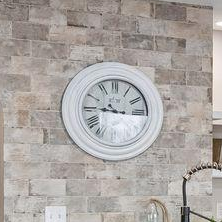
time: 9:15
